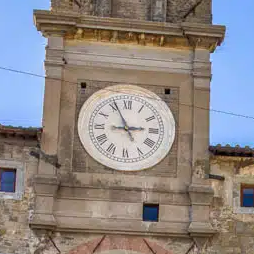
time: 2:56
